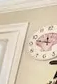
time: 11:46
